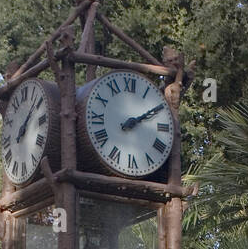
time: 2:09
